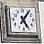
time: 5:06
